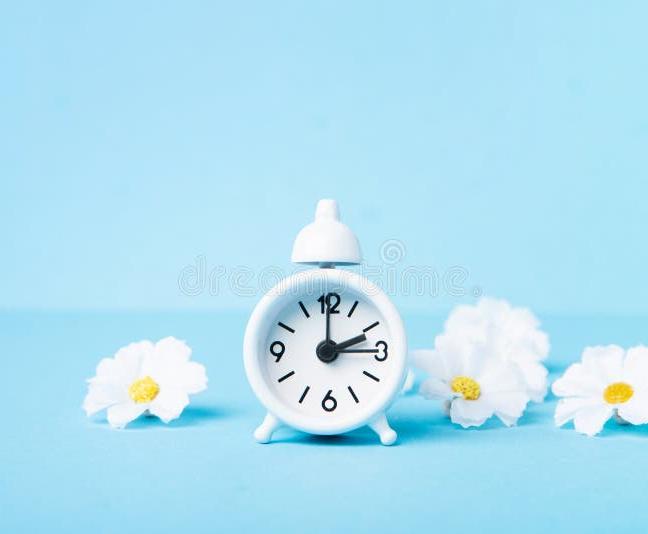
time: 2:00
